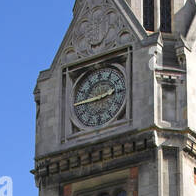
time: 2:44
